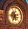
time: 5:35
